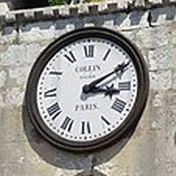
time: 3:10
